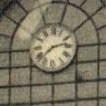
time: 2:38
